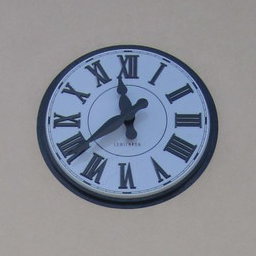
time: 11:38
